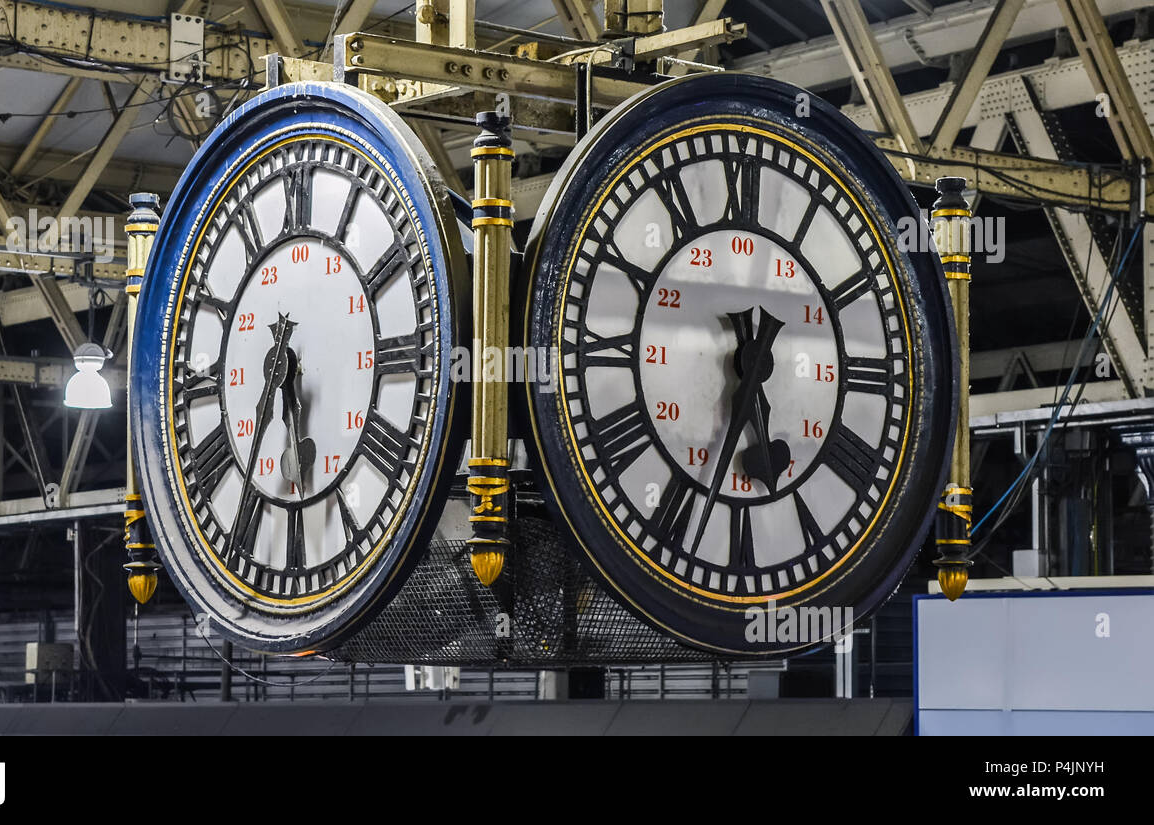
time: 5:33
